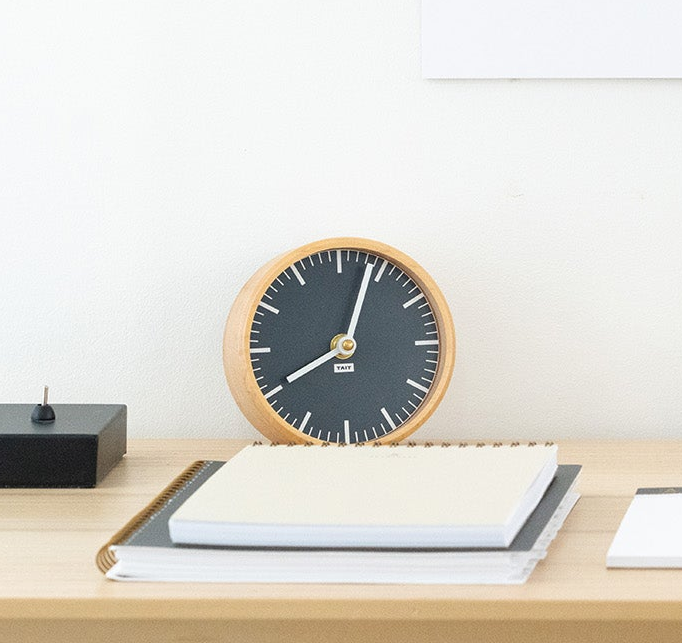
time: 8:03
